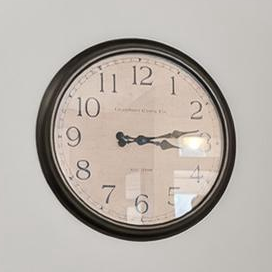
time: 3:13
